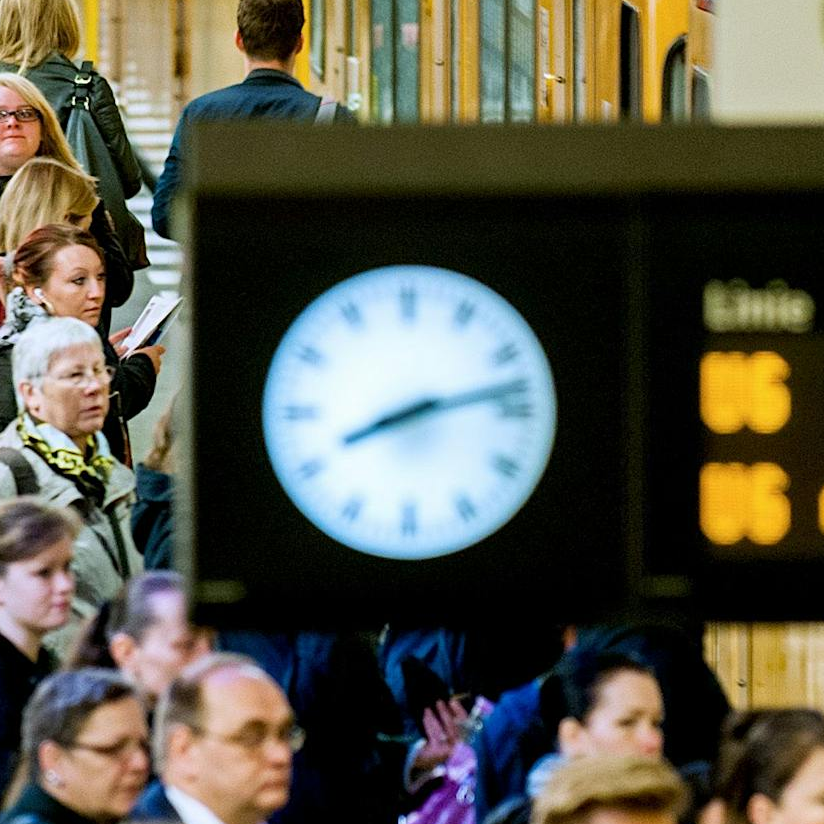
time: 8:12
